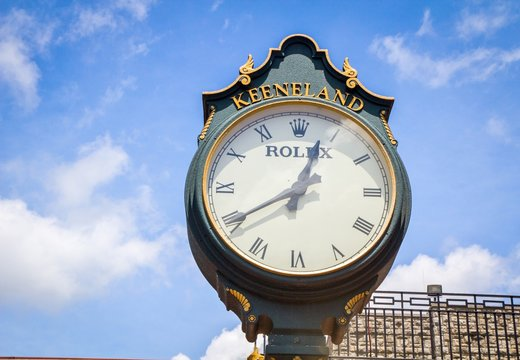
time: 12:40
